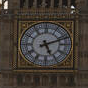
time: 5:11
